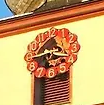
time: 3:44
